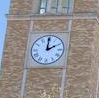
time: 2:00
